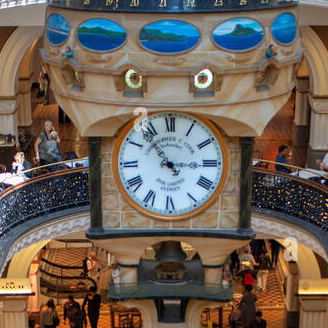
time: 2:53
